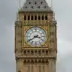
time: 3:39
